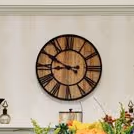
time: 8:49
